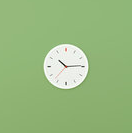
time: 10:14
